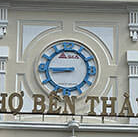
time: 8:45
